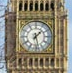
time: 1:28
